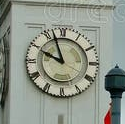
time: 9:57
